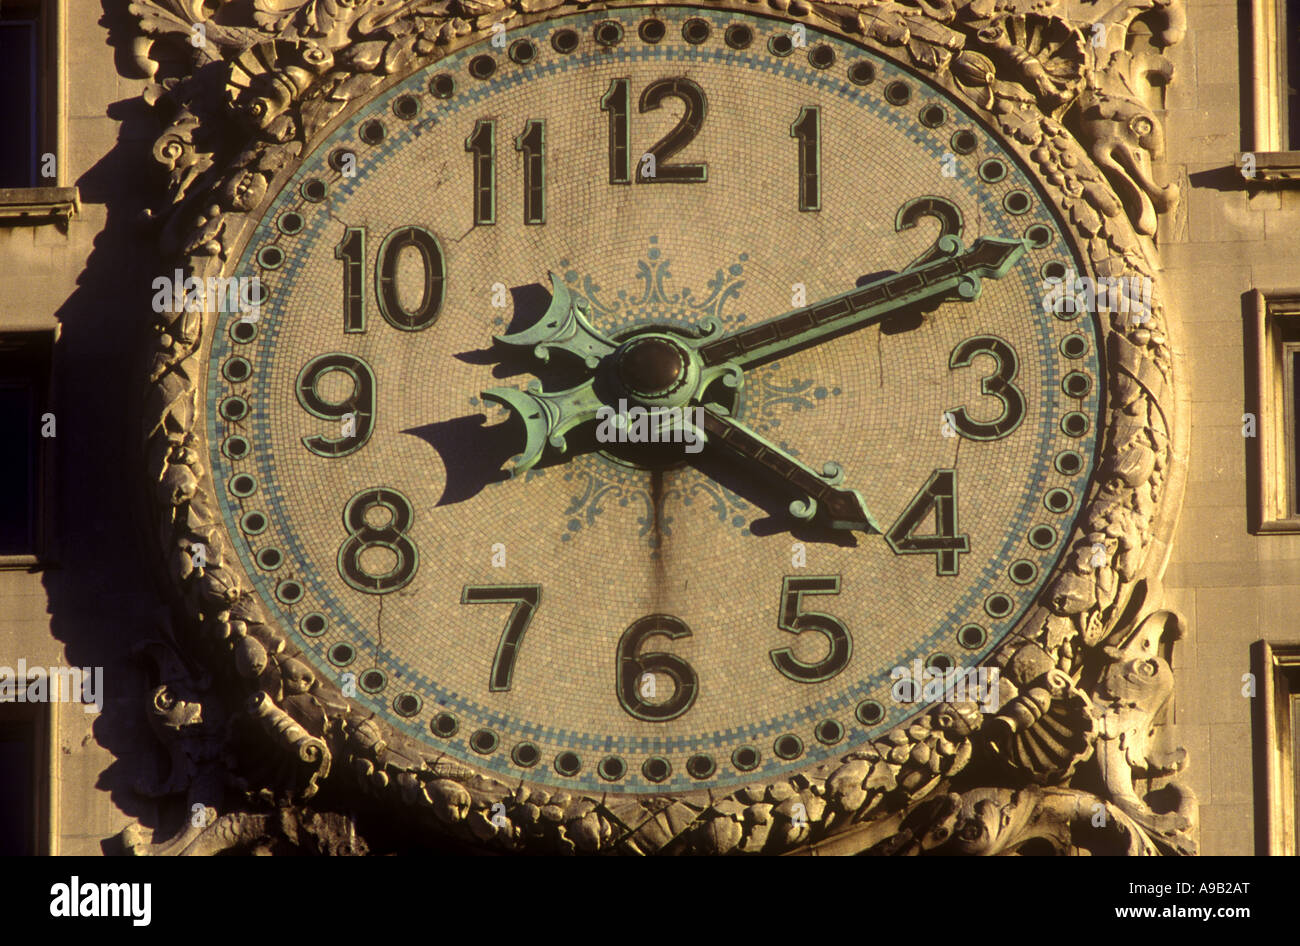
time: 4:10
